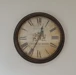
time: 12:34
